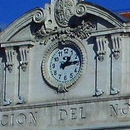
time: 1:13
